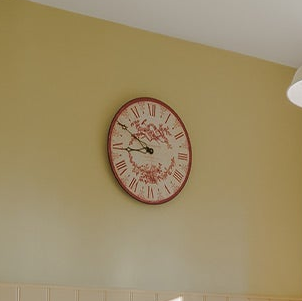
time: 8:50
